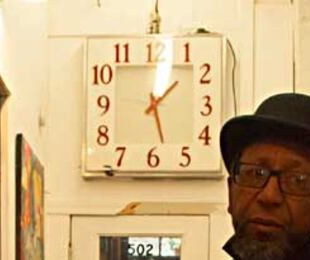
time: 1:27
